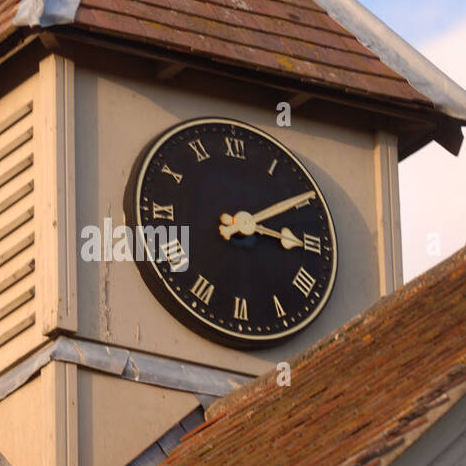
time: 3:09
